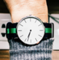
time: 6:33
